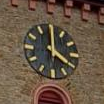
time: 4:00
